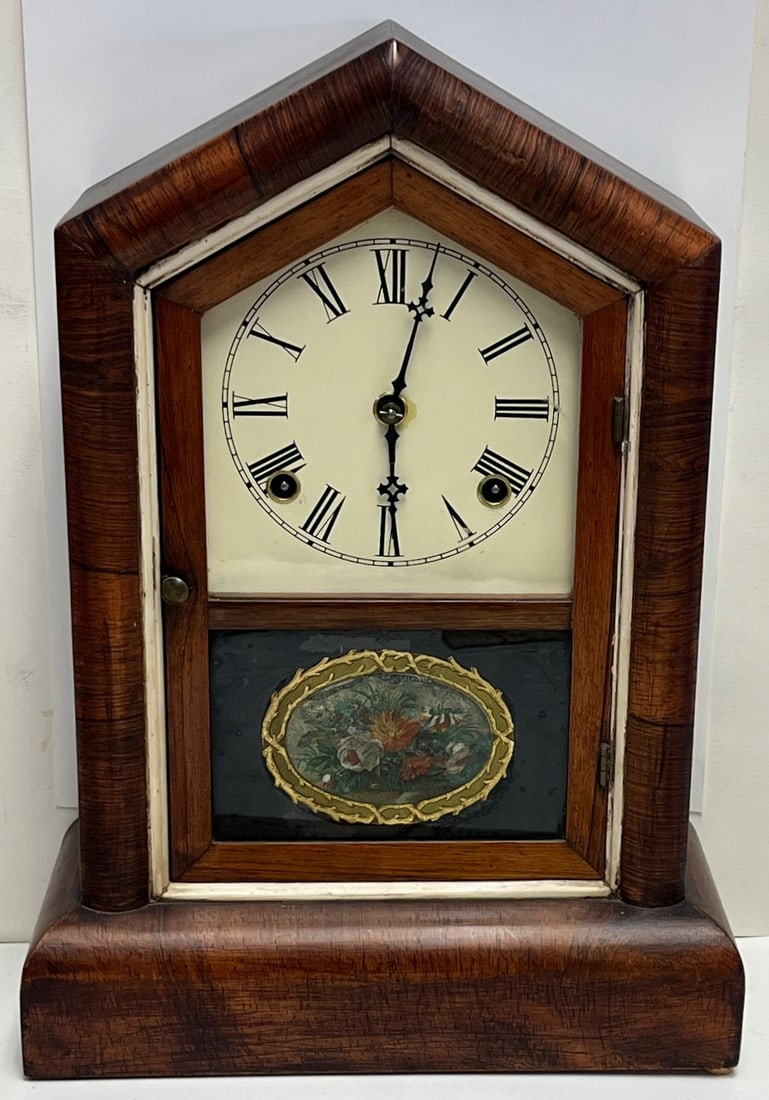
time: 6:02
